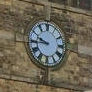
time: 9:44
